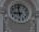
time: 8:58
